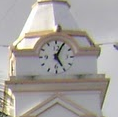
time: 5:04
